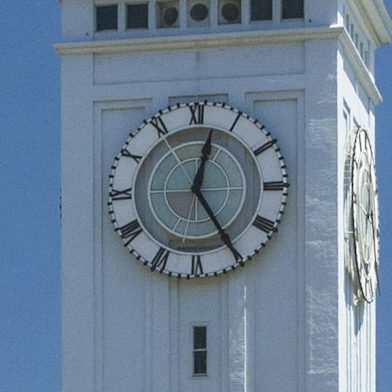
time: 12:24
